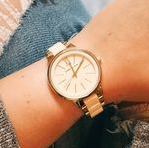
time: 11:05
